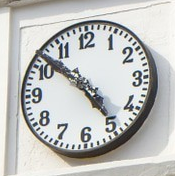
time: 4:51
